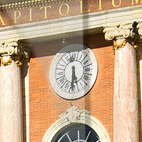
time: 5:30
